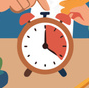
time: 4:00
